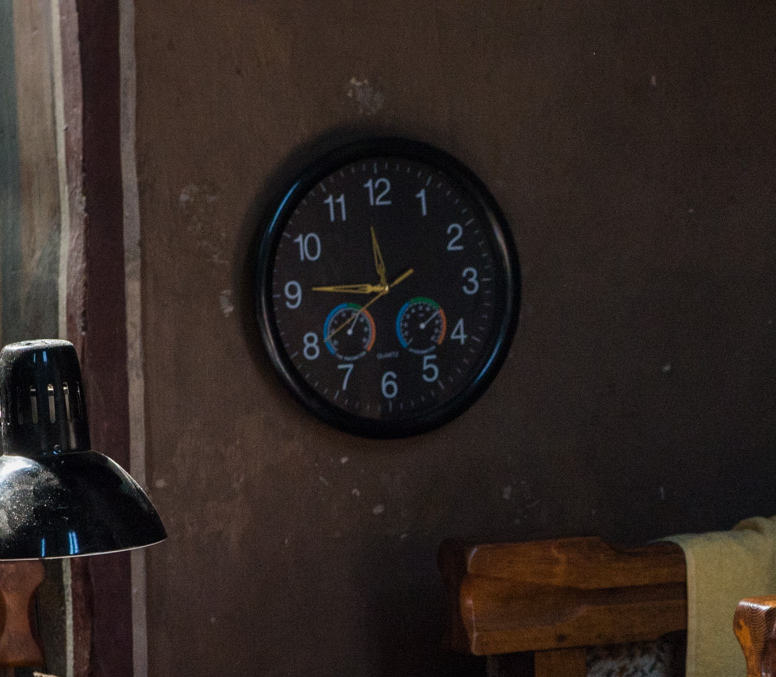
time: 11:45
